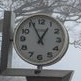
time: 12:55
